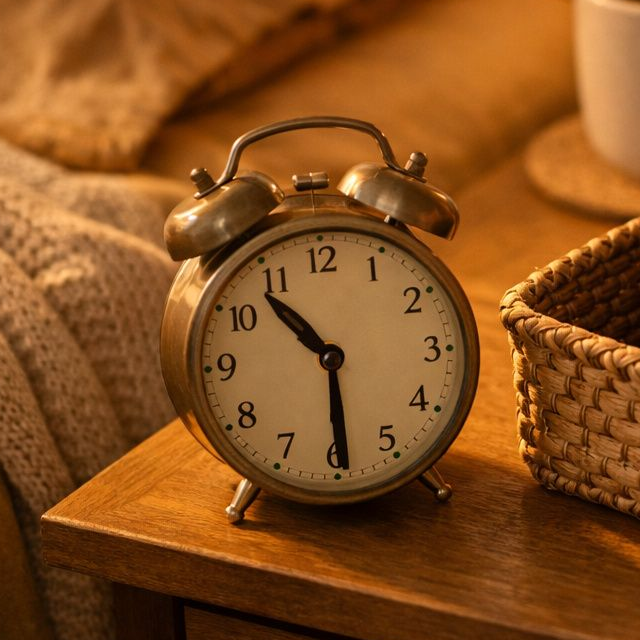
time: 10:29
